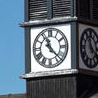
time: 11:22
